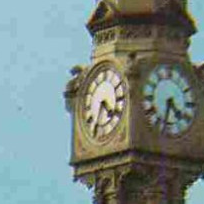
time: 4:34
